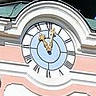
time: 11:02
